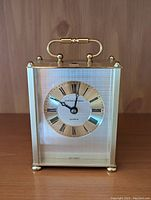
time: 10:01
